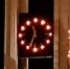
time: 11:33
